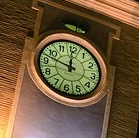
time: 11:47
